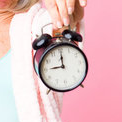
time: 9:00
